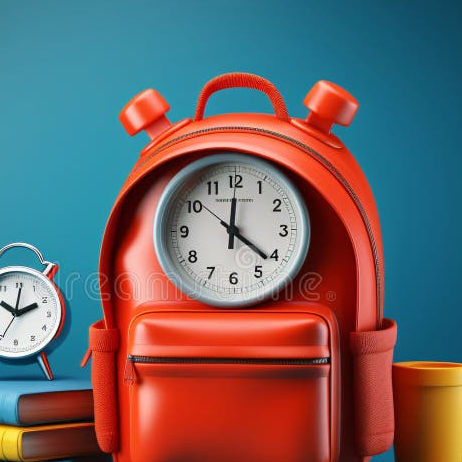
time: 12:21
